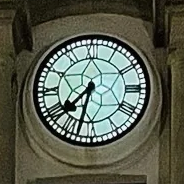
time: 7:32
